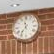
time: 11:36
